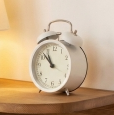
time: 10:51
